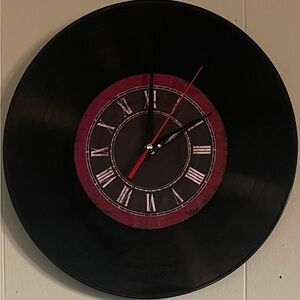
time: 2:00
